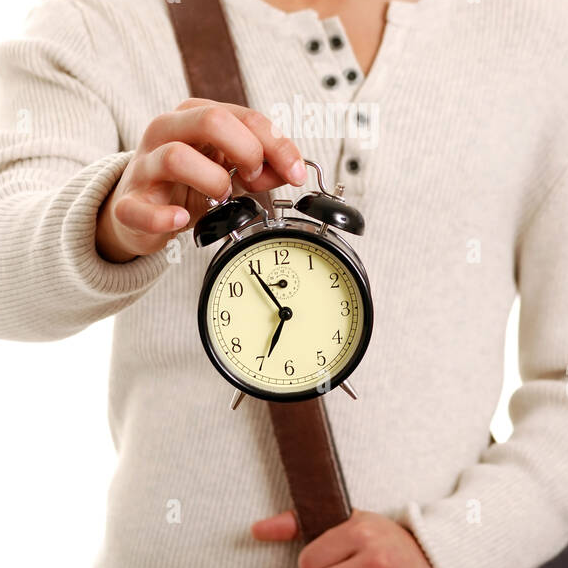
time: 6:54
